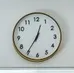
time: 12:35
